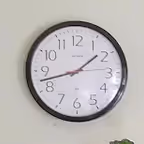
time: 1:42
